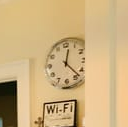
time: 12:22
